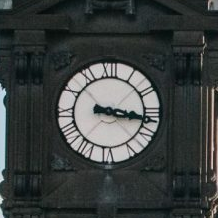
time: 3:16
